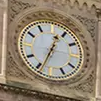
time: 12:33
